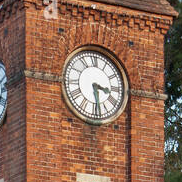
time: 3:28
